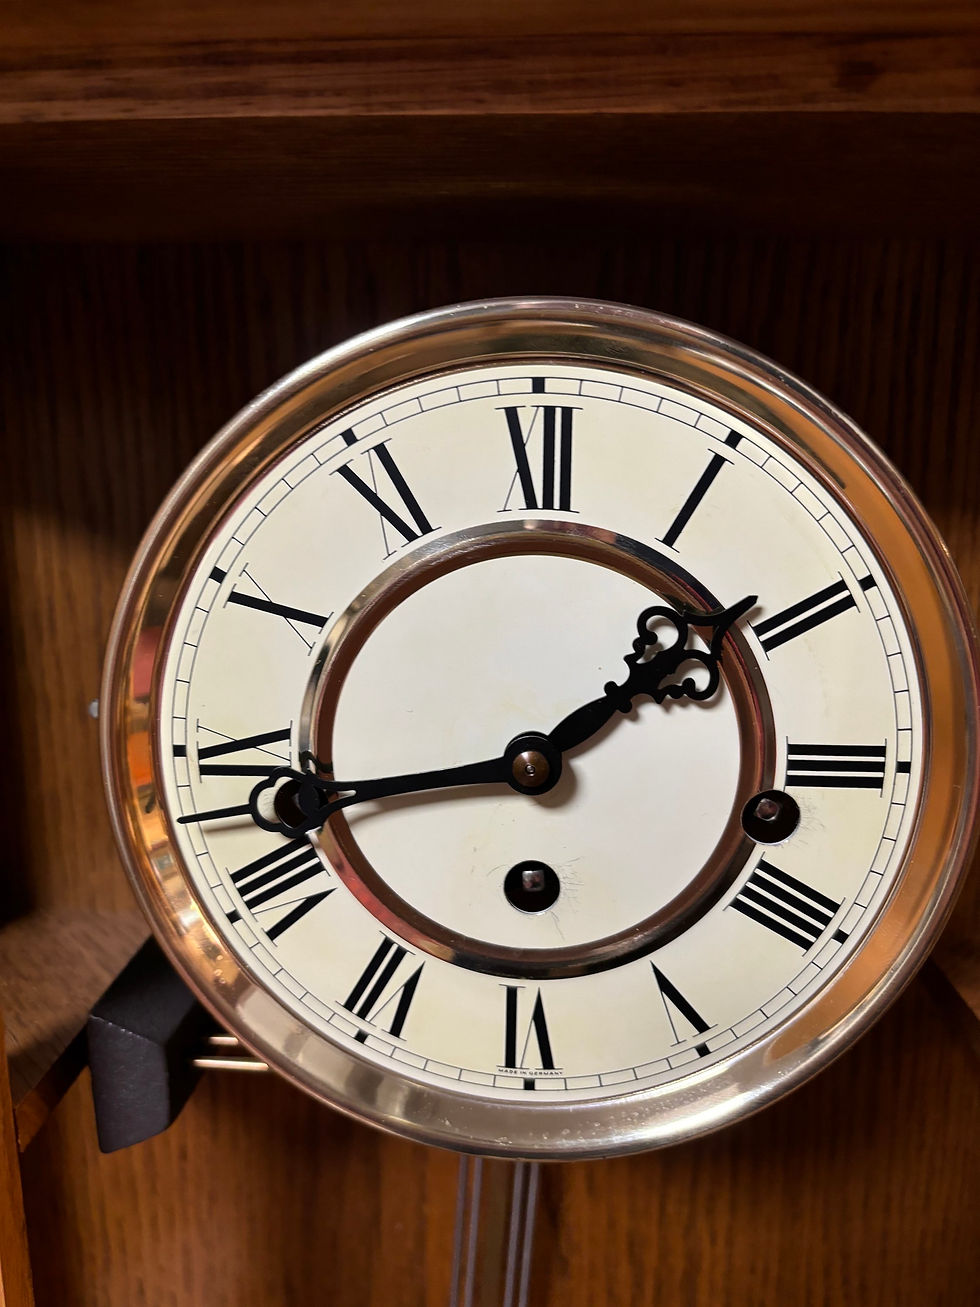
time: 1:43
